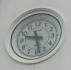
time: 9:27
